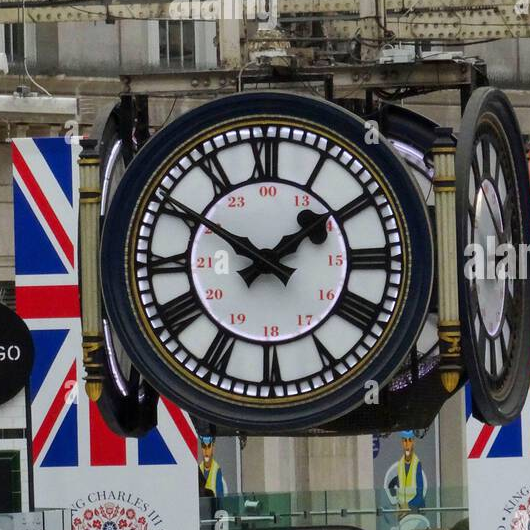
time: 1:50
